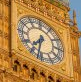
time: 7:32
